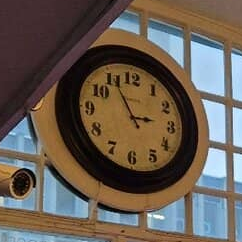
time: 2:55
